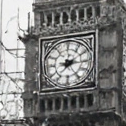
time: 7:15
